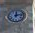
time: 12:13
